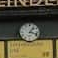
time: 1:18
